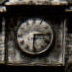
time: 6:14
